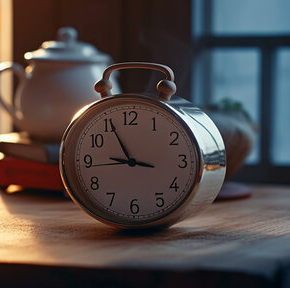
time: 8:55
